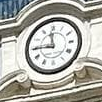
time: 11:45
